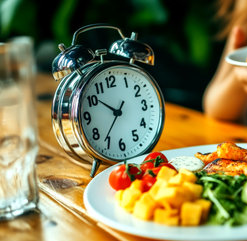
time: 10:36
